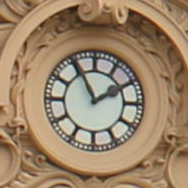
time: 1:55
